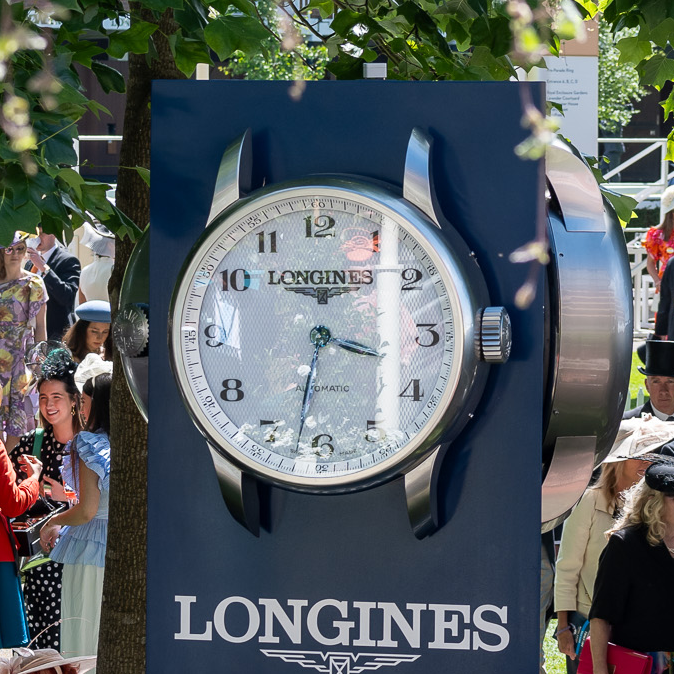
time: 3:32
